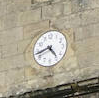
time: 4:42
